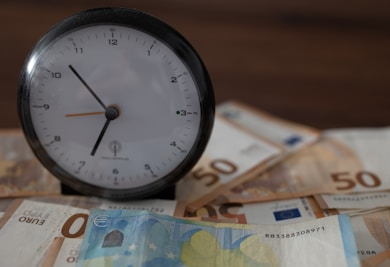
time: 6:52
